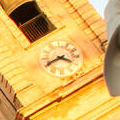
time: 3:40
